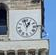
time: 12:57
